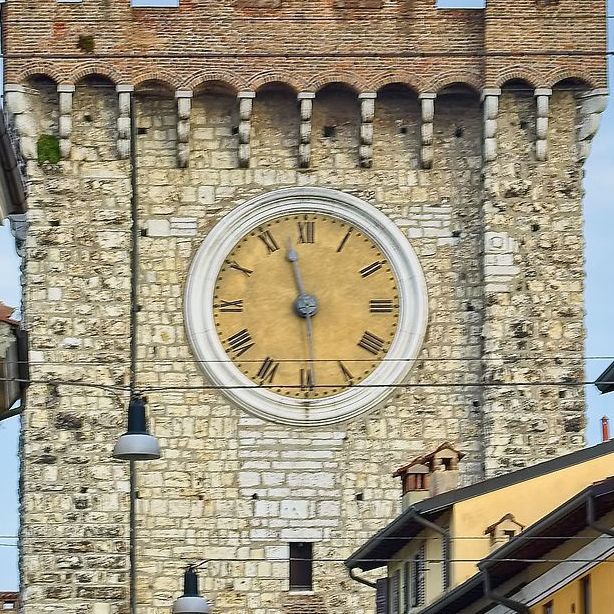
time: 11:29
